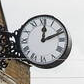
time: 12:11
